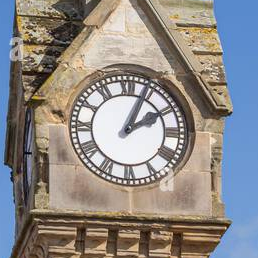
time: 2:04
